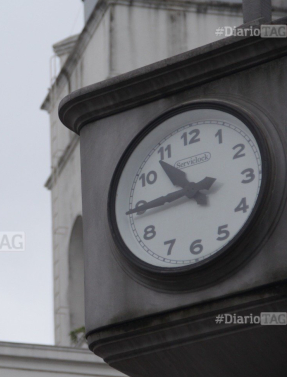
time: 10:44
